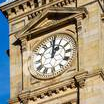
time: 1:01
